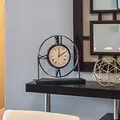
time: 2:00
